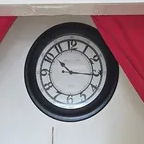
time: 10:15
